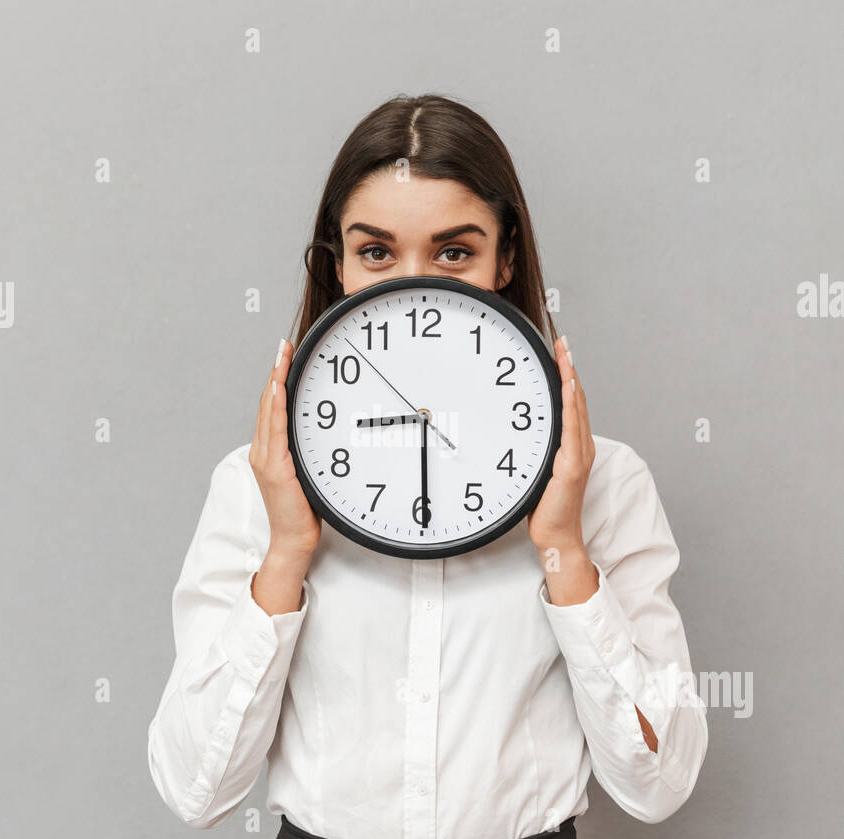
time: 8:29
